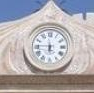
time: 5:45
